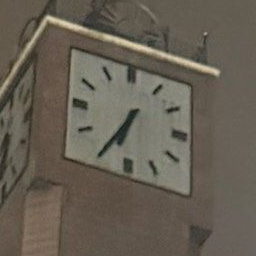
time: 6:34
